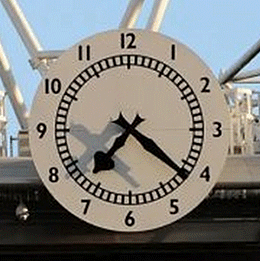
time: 7:21
